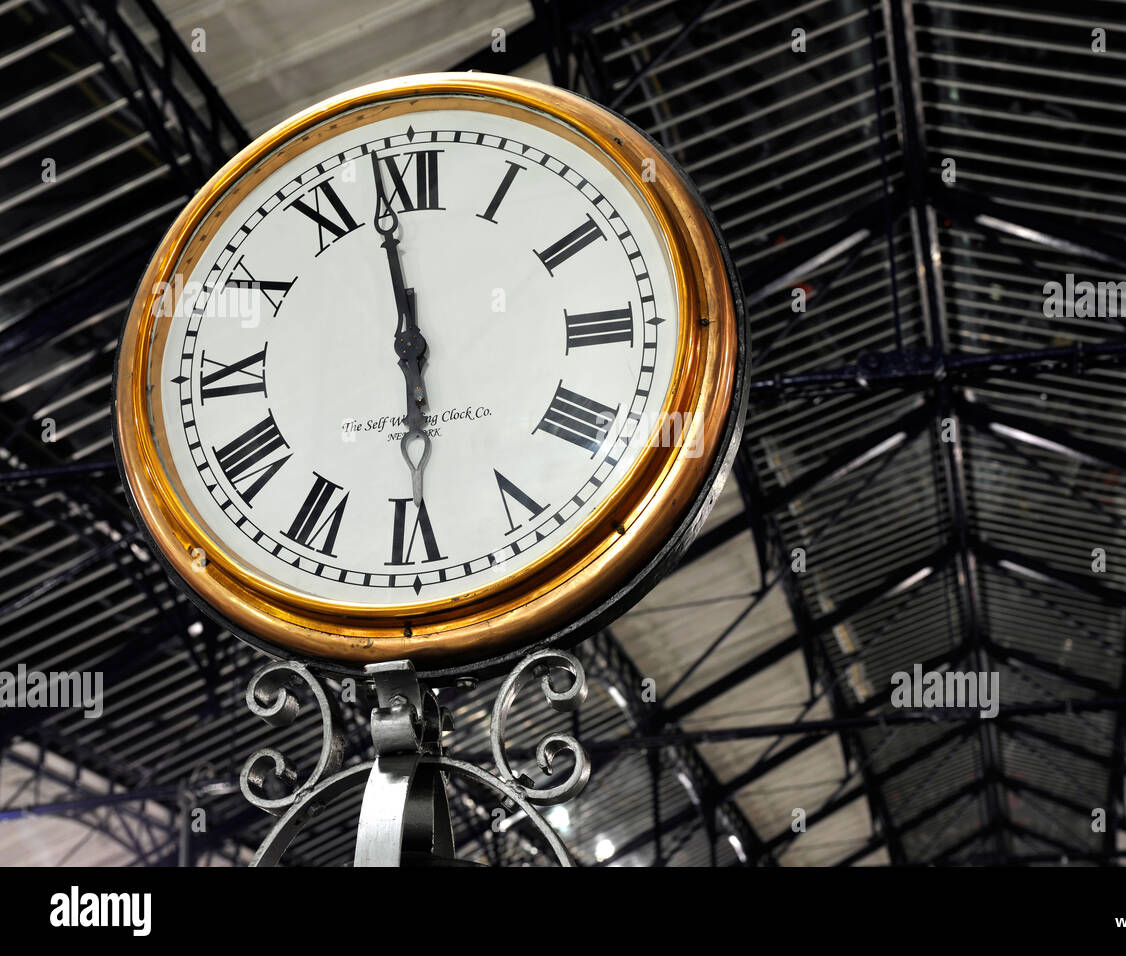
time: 5:58
